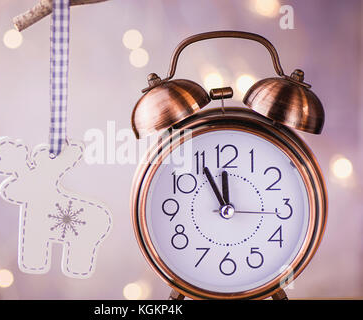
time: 11:55
